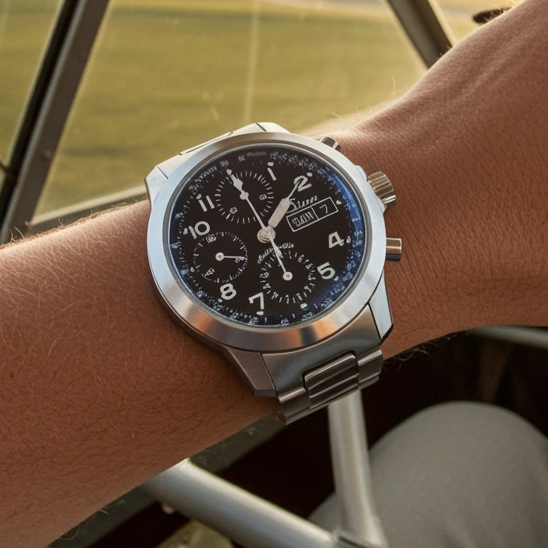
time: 12:55
